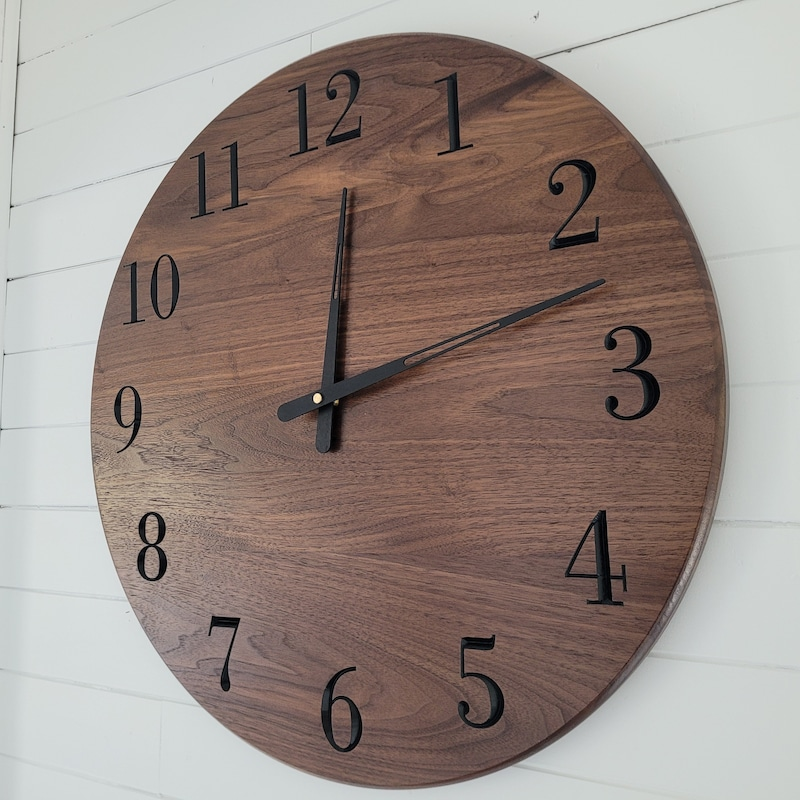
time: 12:12
